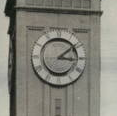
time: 3:08
